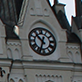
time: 12:53
